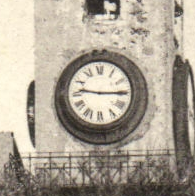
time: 9:14
